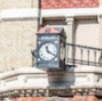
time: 11:19
